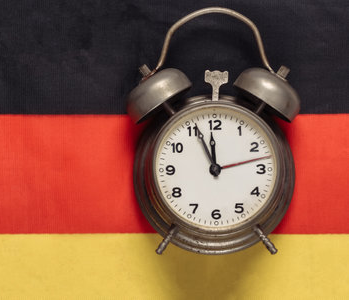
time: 11:56
